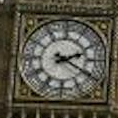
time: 2:19
